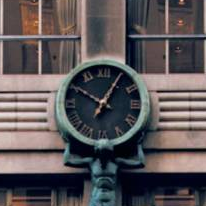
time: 10:05
